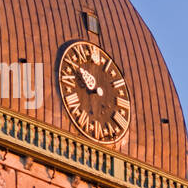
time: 9:50
